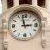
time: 2:58
